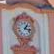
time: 1:16
